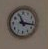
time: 11:16
